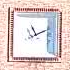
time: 11:11
